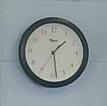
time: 1:28
